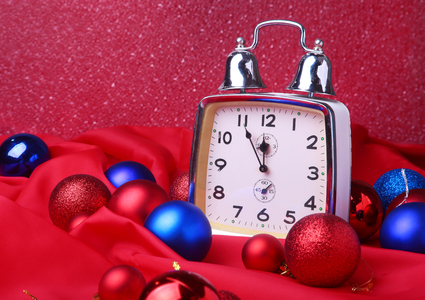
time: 11:55
